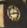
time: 2:42
